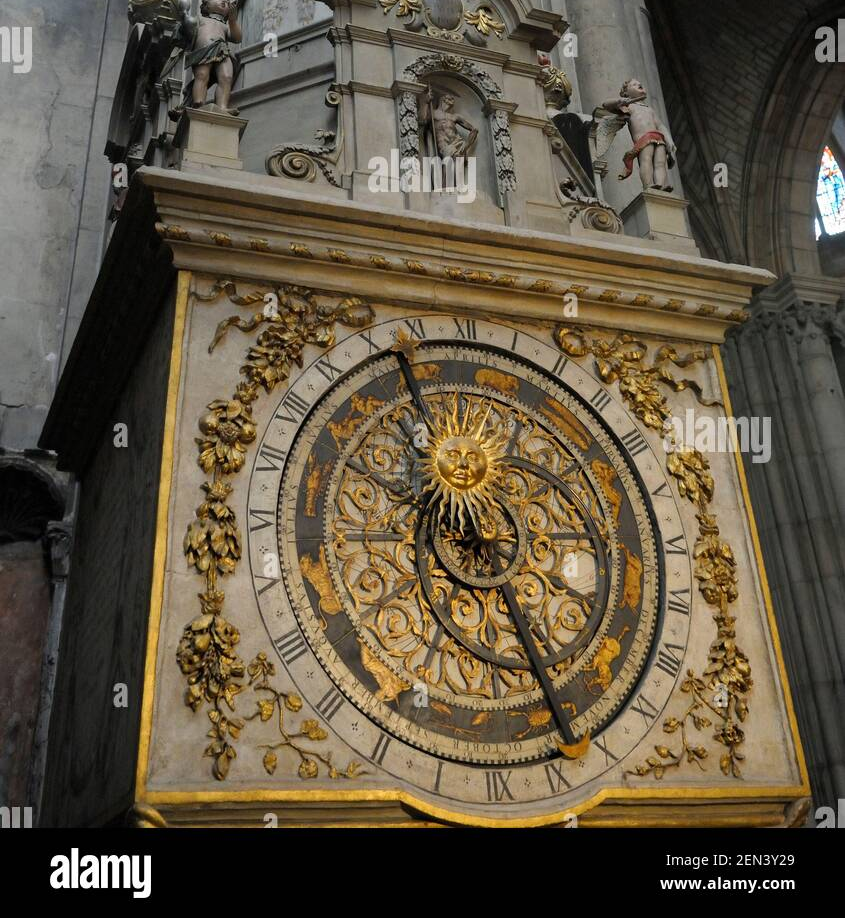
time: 11:25
